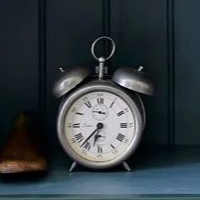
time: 6:36
